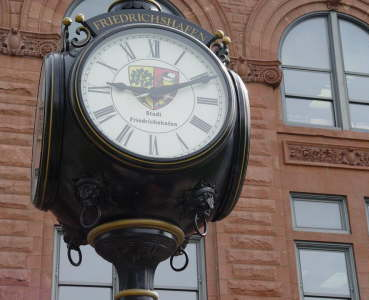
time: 9:10
